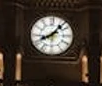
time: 8:07
